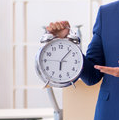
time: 6:06
